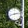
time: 2:42
